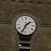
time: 1:34
